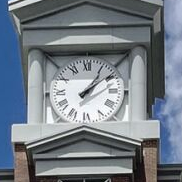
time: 1:08
